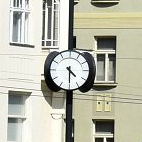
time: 4:29
